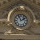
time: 1:56
